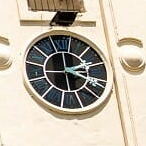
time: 2:18
